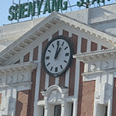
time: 1:01
